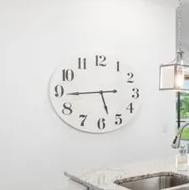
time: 5:44
